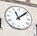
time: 11:07
